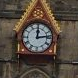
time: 12:13
